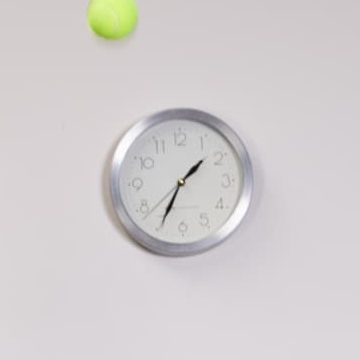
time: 1:34
